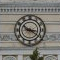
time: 3:20
